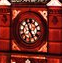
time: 4:56
